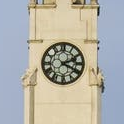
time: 2:19
